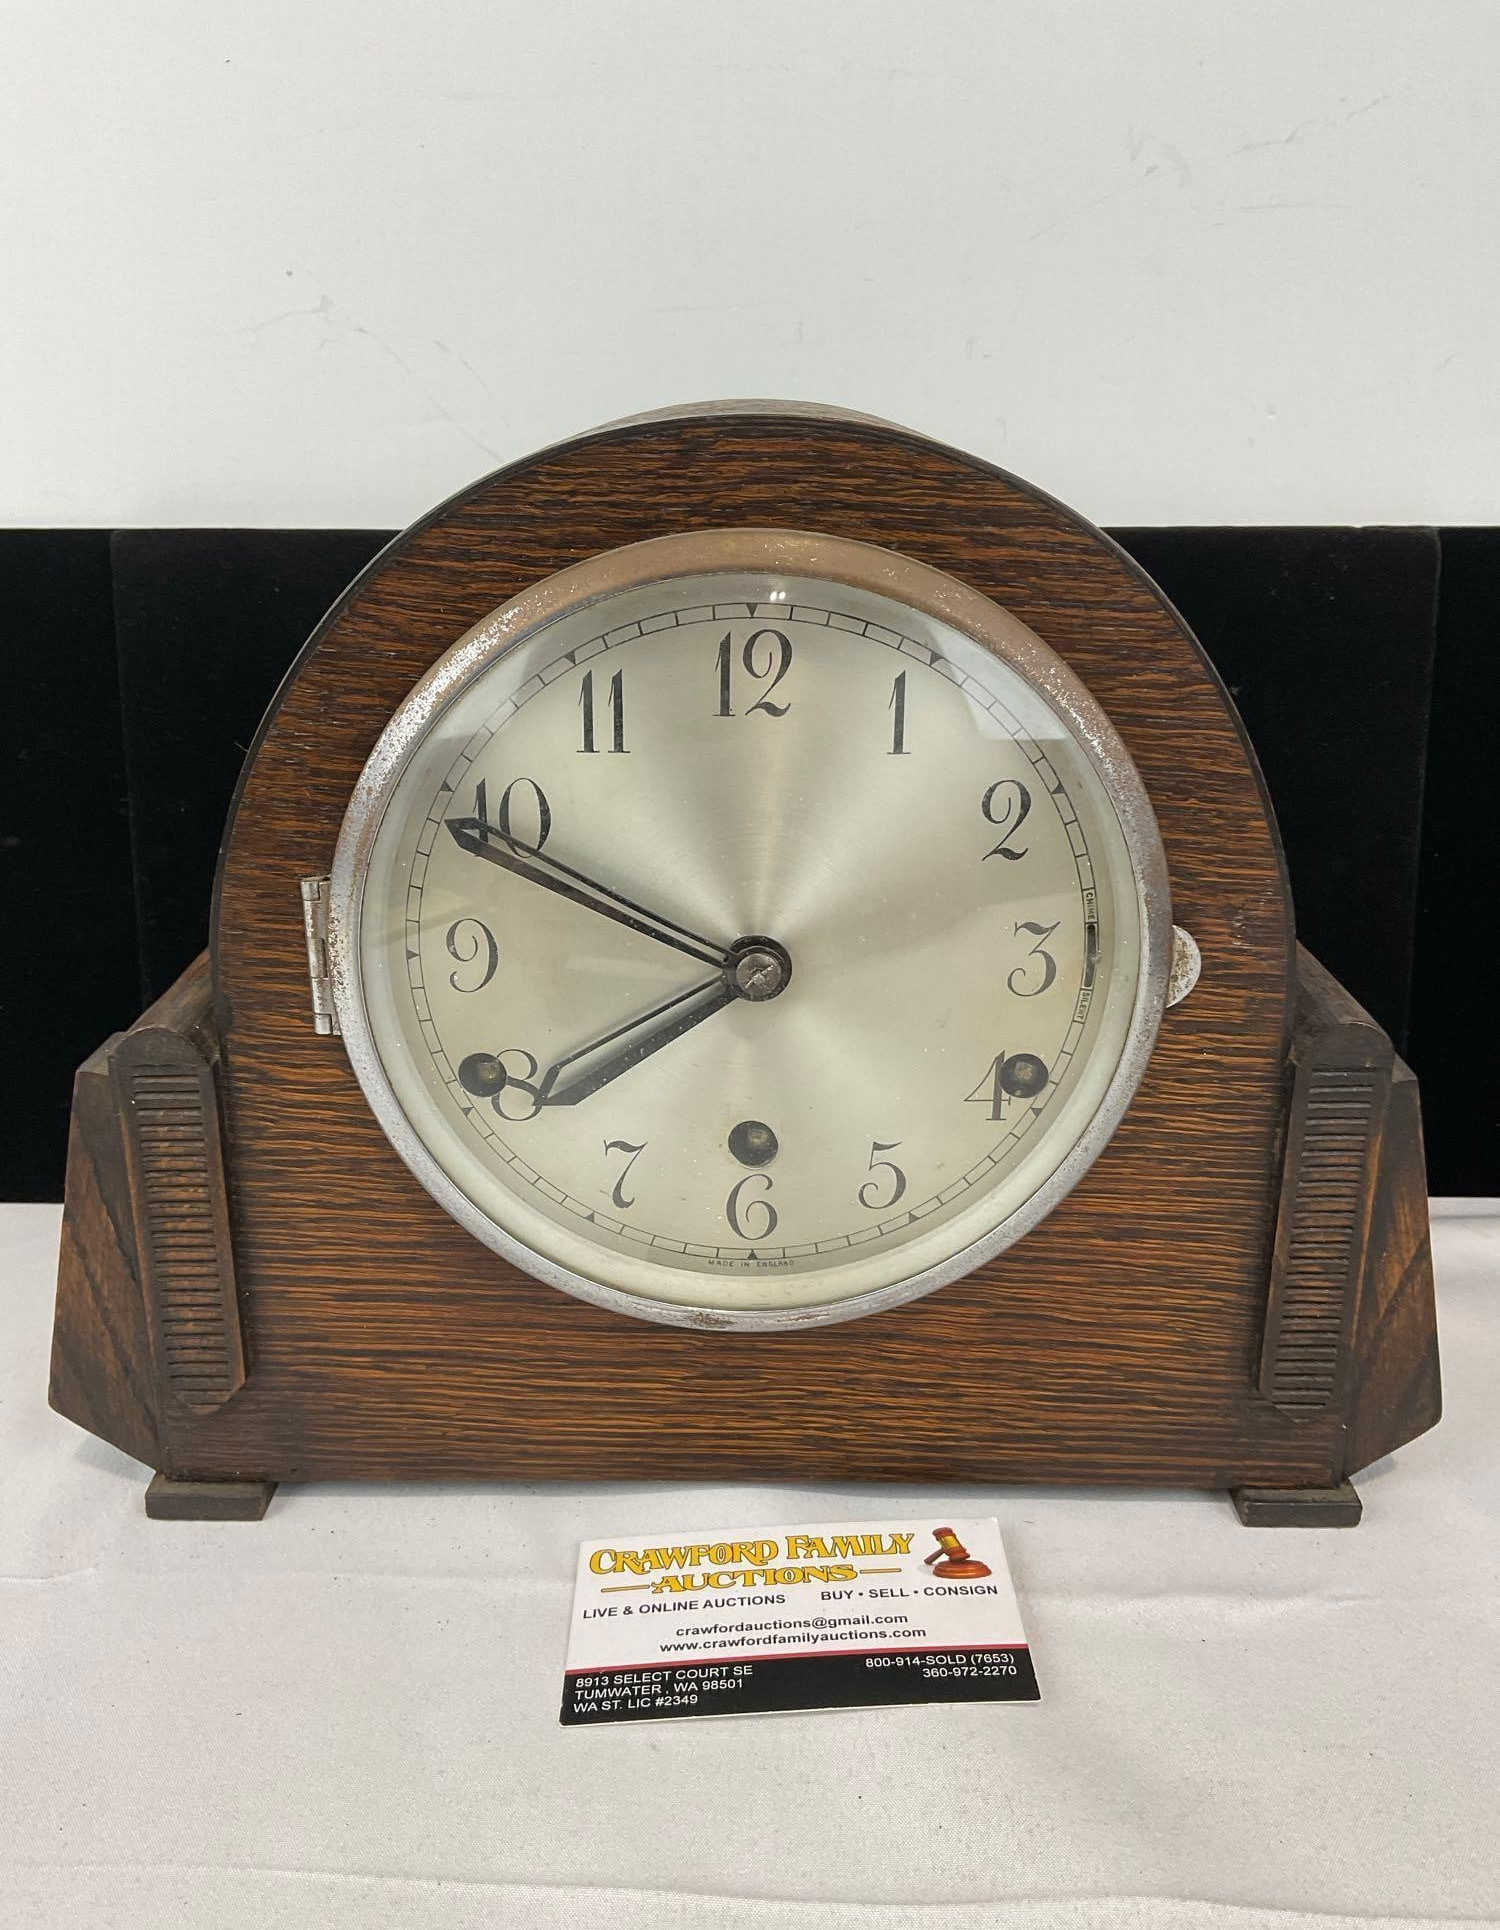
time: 7:49
